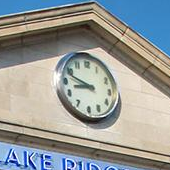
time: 8:48
